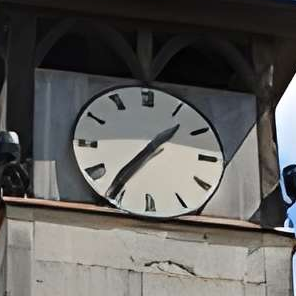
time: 1:36
